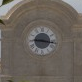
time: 9:16
